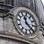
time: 11:21
